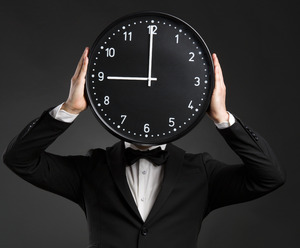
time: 8:59
